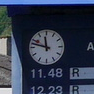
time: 11:47
